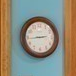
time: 2:44
